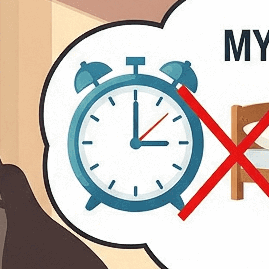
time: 3:00
